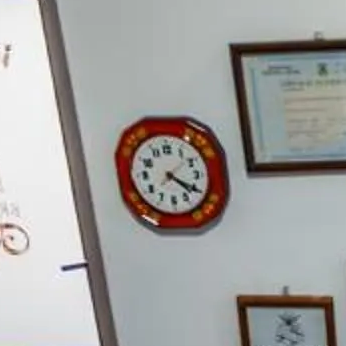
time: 4:20
